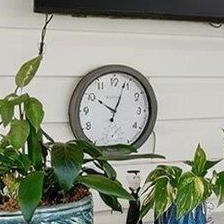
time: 10:03
